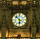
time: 5:51
